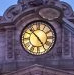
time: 4:52
